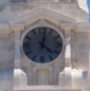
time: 12:22
